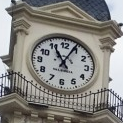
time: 11:04
